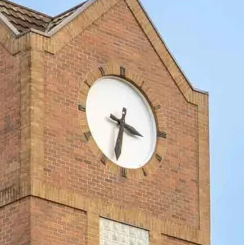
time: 3:32
